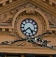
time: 4:39
